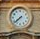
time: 7:37
